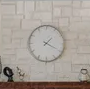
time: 1:19
